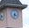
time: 3:32
